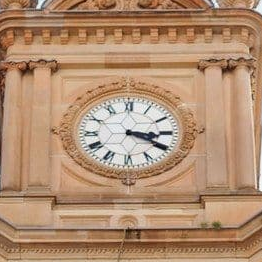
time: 3:20
